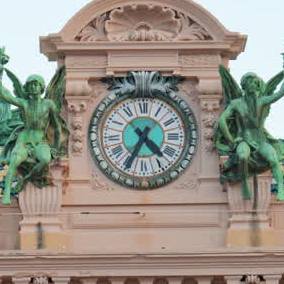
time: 4:34
